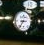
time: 8:36
